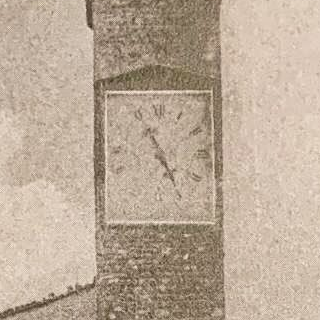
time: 4:54
